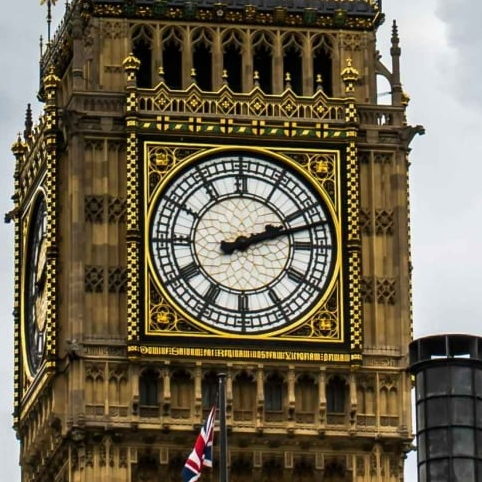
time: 2:11
